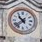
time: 10:37
